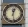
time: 12:28
